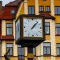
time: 1:07
